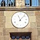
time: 11:07
